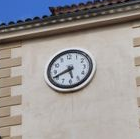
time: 5:41
